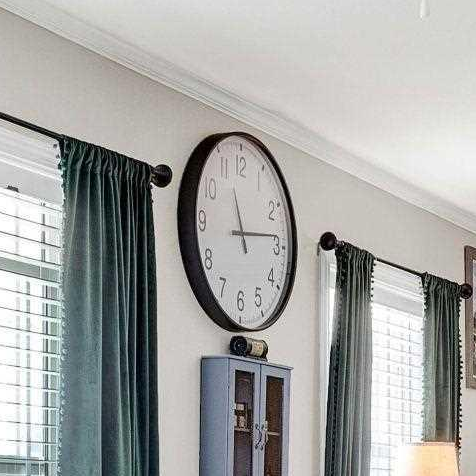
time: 11:13
